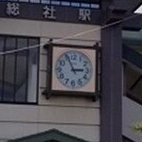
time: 2:55
